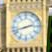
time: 2:42
